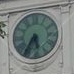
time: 5:35
